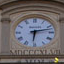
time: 6:12
